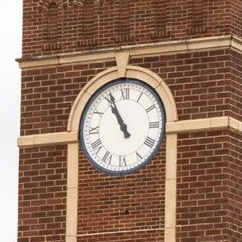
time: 10:55
